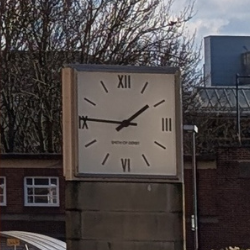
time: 1:46
